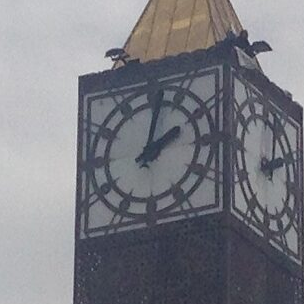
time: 2:01
